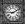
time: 9:10
